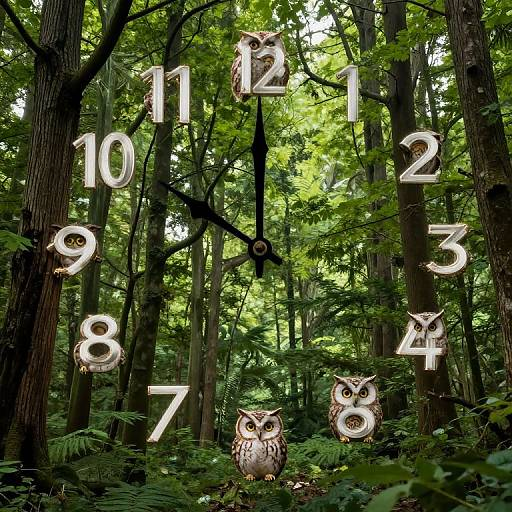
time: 11:49
